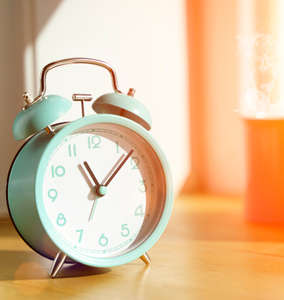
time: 11:07
